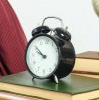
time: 9:51
